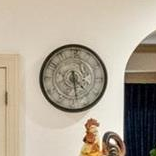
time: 4:28
